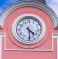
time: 4:29
